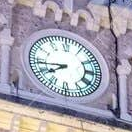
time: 7:43
